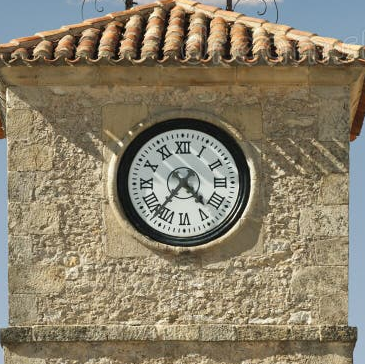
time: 4:36
